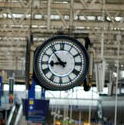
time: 8:53
